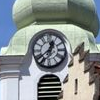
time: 12:38
